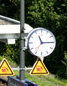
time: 11:14
